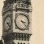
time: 3:22
